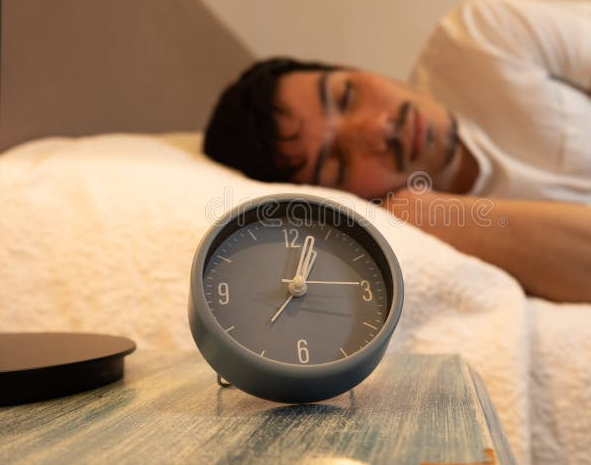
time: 1:03
